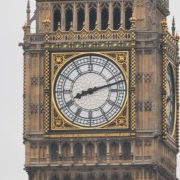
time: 8:12
